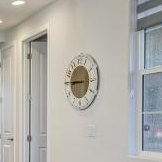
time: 8:45
